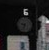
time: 9:33
